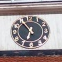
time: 6:54
